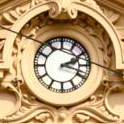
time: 2:18
